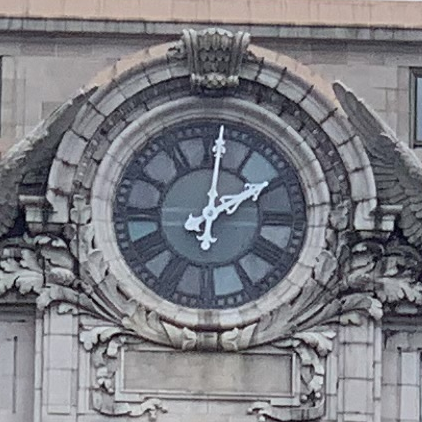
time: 2:01
